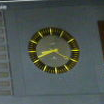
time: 8:20
